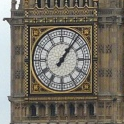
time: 1:06
